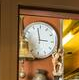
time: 2:58
